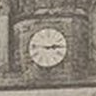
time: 2:46
